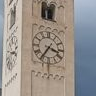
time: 3:36
